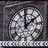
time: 1:59
